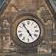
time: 4:53
